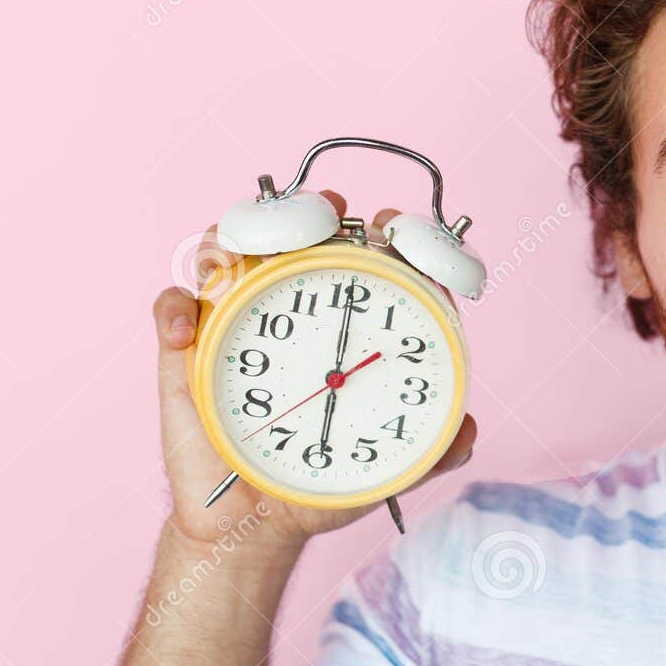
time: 6:00
